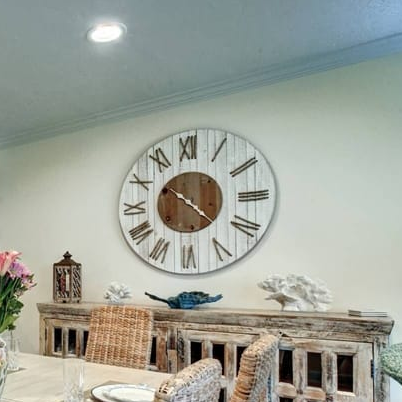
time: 10:22
